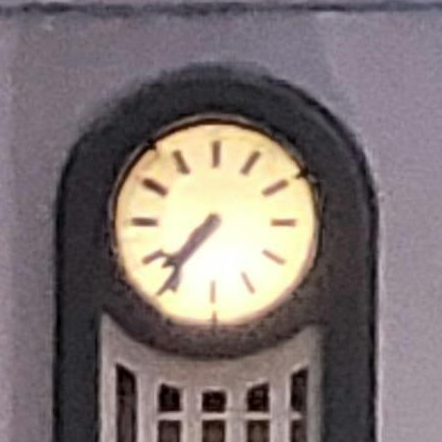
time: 7:36
